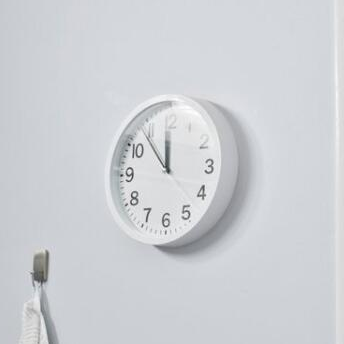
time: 11:53
